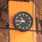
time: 10:45
